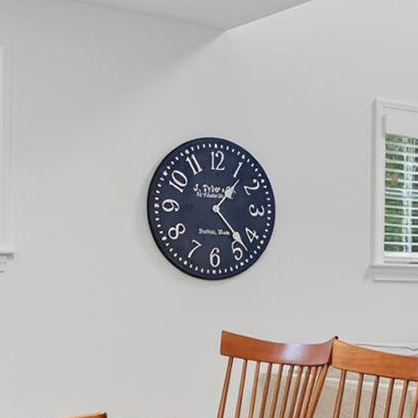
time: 1:23
